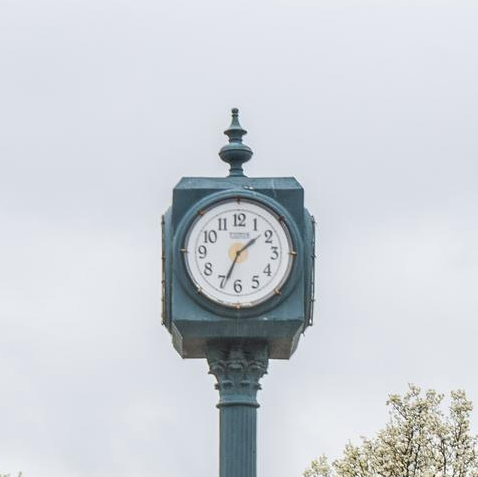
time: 1:34
